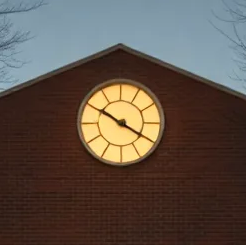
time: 3:49
